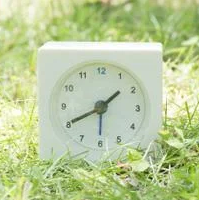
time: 1:40
